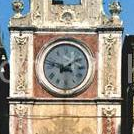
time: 1:47
